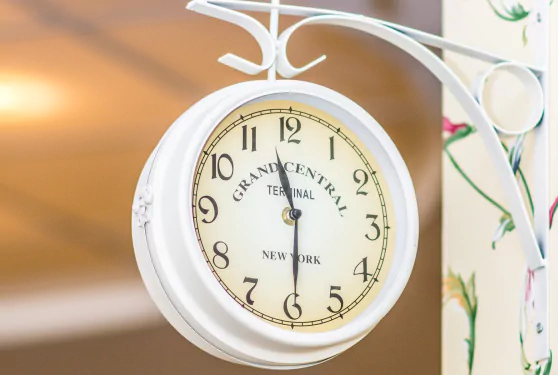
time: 11:29
